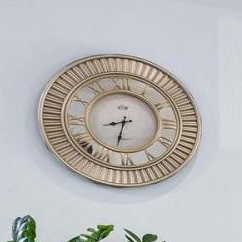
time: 8:32
